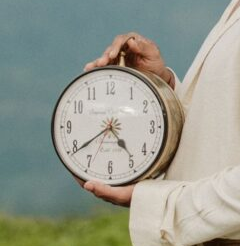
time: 4:39
